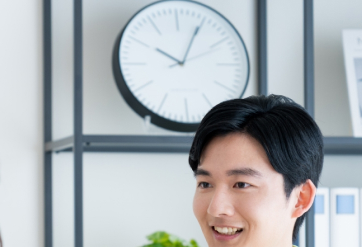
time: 10:04
